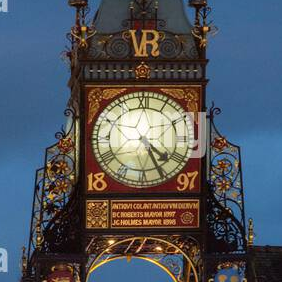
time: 4:25
